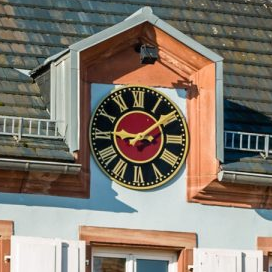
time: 9:09
